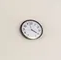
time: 3:57
